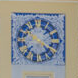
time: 10:22
